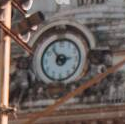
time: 2:53
